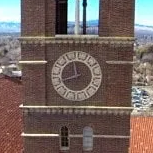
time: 11:42
